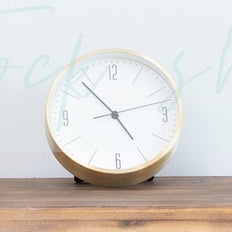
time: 4:53
